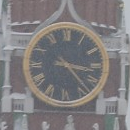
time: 3:23
